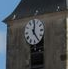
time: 12:24
